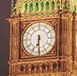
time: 6:29
